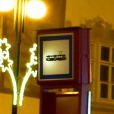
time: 3:13
